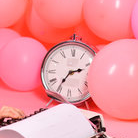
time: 2:35
